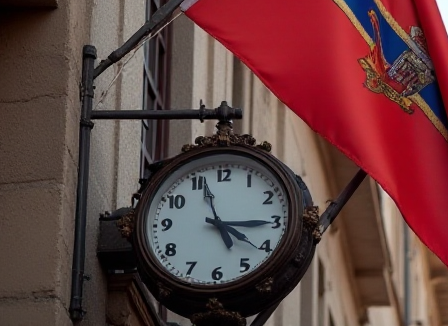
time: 2:56
